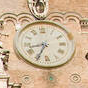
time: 8:34
